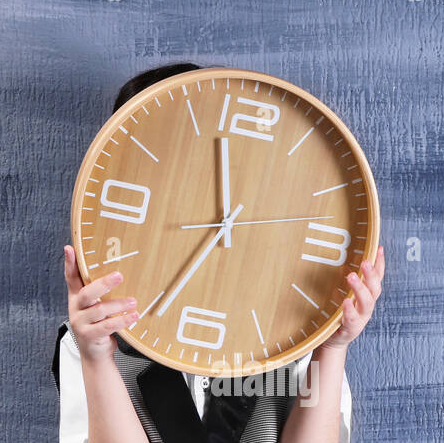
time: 11:34
